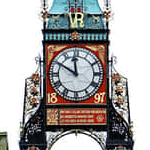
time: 11:50
